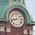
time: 8:42
